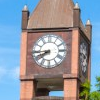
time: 7:43
